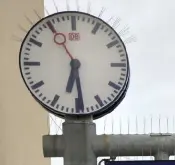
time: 6:29
